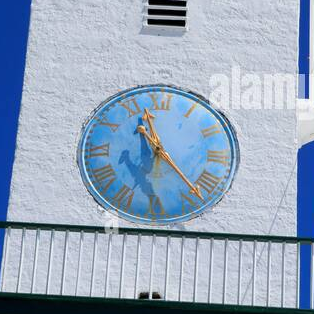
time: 11:22
